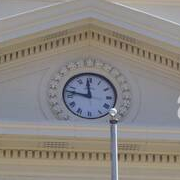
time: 11:47
